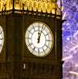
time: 12:03
